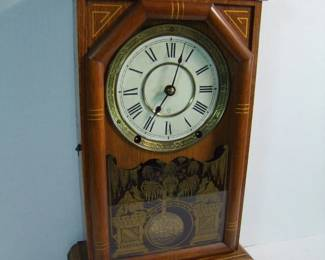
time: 7:03
